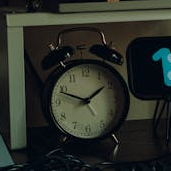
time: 1:48
